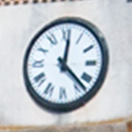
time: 12:22
